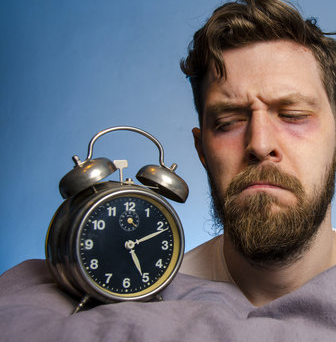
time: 5:11
